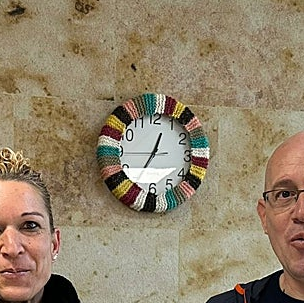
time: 12:34
